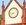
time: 8:38
